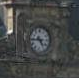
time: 4:44
